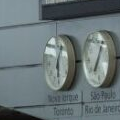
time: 6:03
